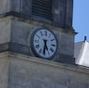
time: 5:31
